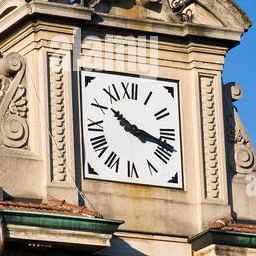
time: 10:17
